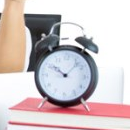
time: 10:07
